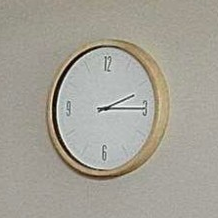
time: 2:14
